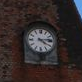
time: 4:13
